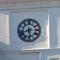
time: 5:42
